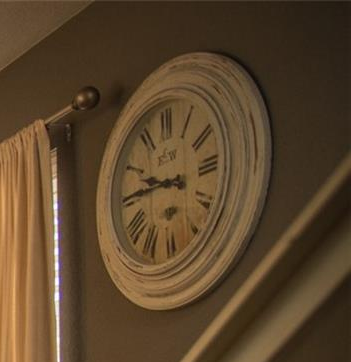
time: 9:45
